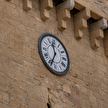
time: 11:34
